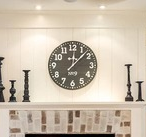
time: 12:07
